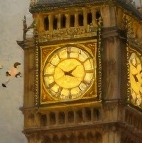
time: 1:50
